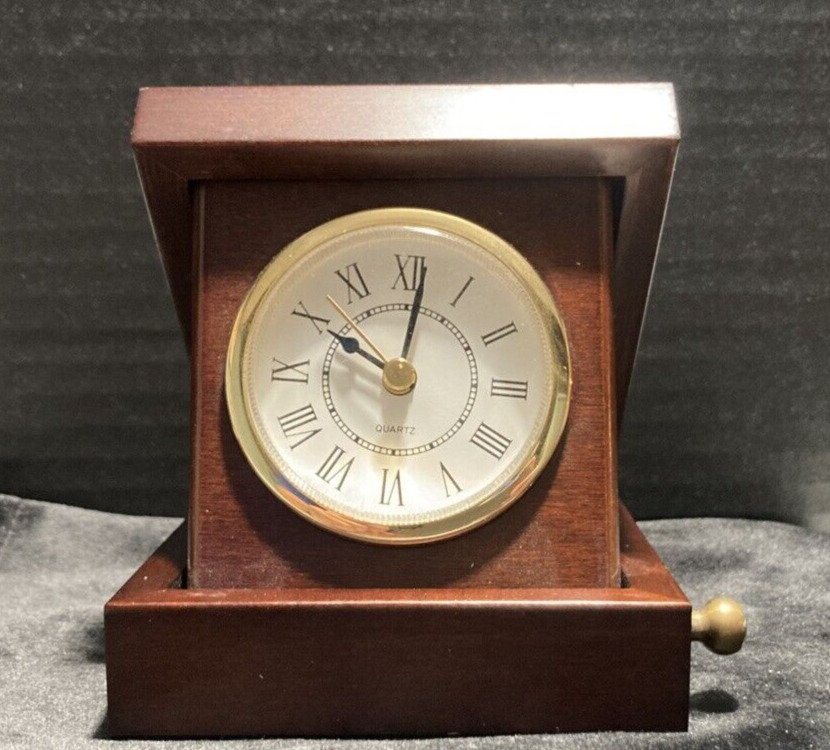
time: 10:01
